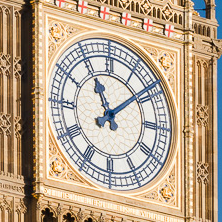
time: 11:08
